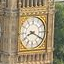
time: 8:19
